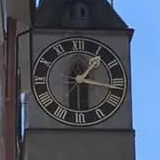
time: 1:16
